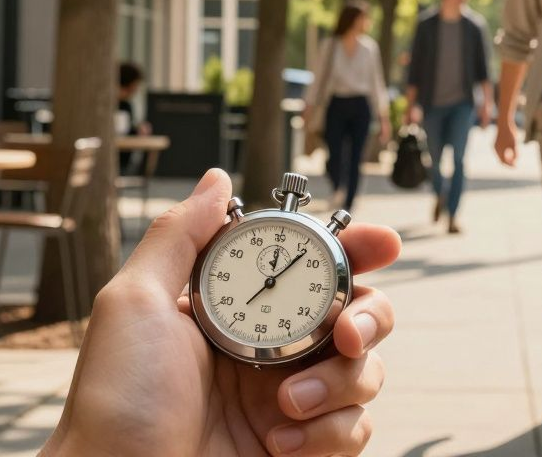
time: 12:06
